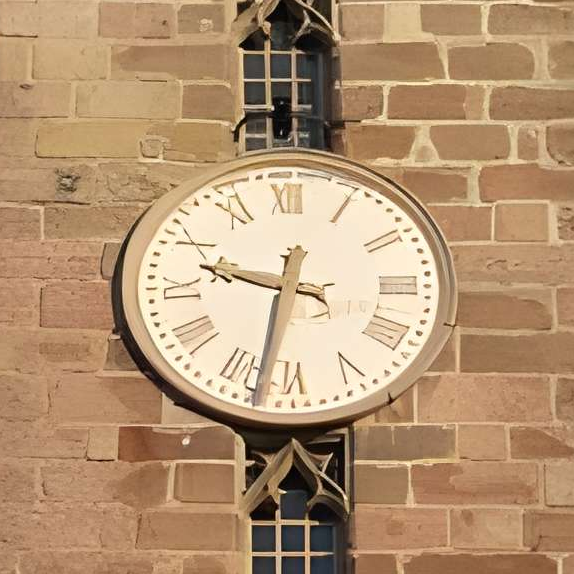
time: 9:32
